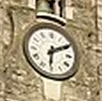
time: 6:10
